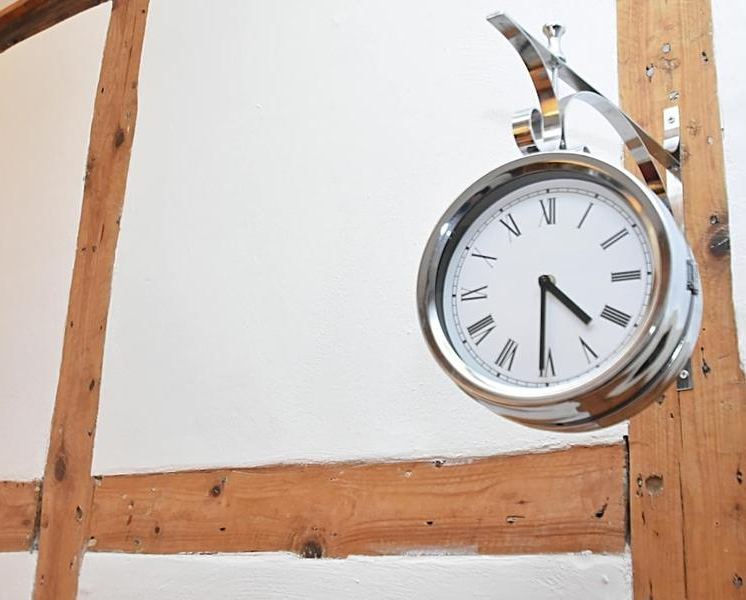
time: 4:30
